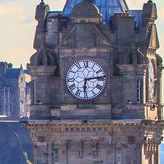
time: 6:13
